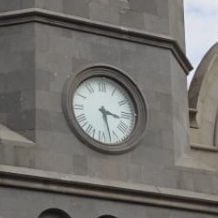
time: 3:27
